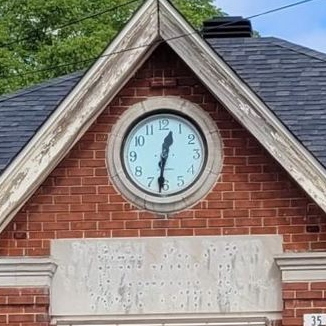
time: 12:31
